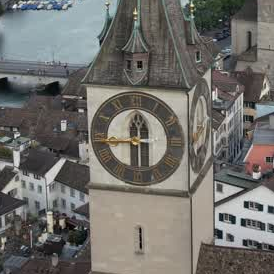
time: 11:43
